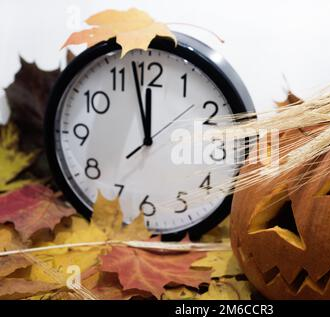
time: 11:57
